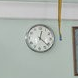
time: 12:21
